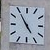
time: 4:54
